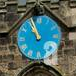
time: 10:56
